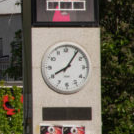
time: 8:06
